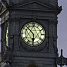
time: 5:52
